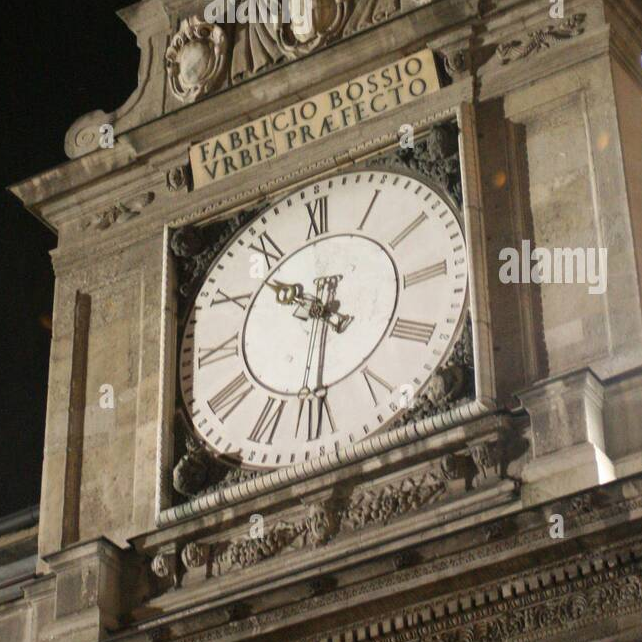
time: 10:31
